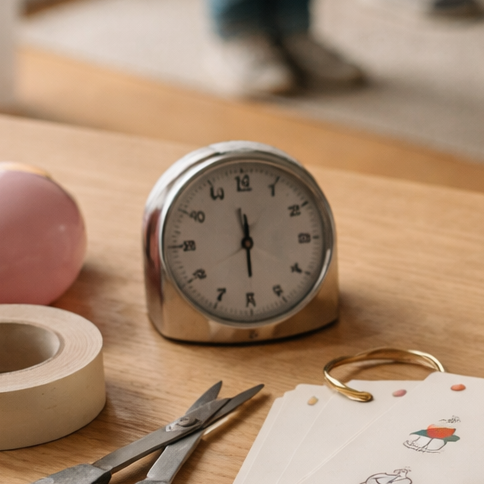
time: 11:29
